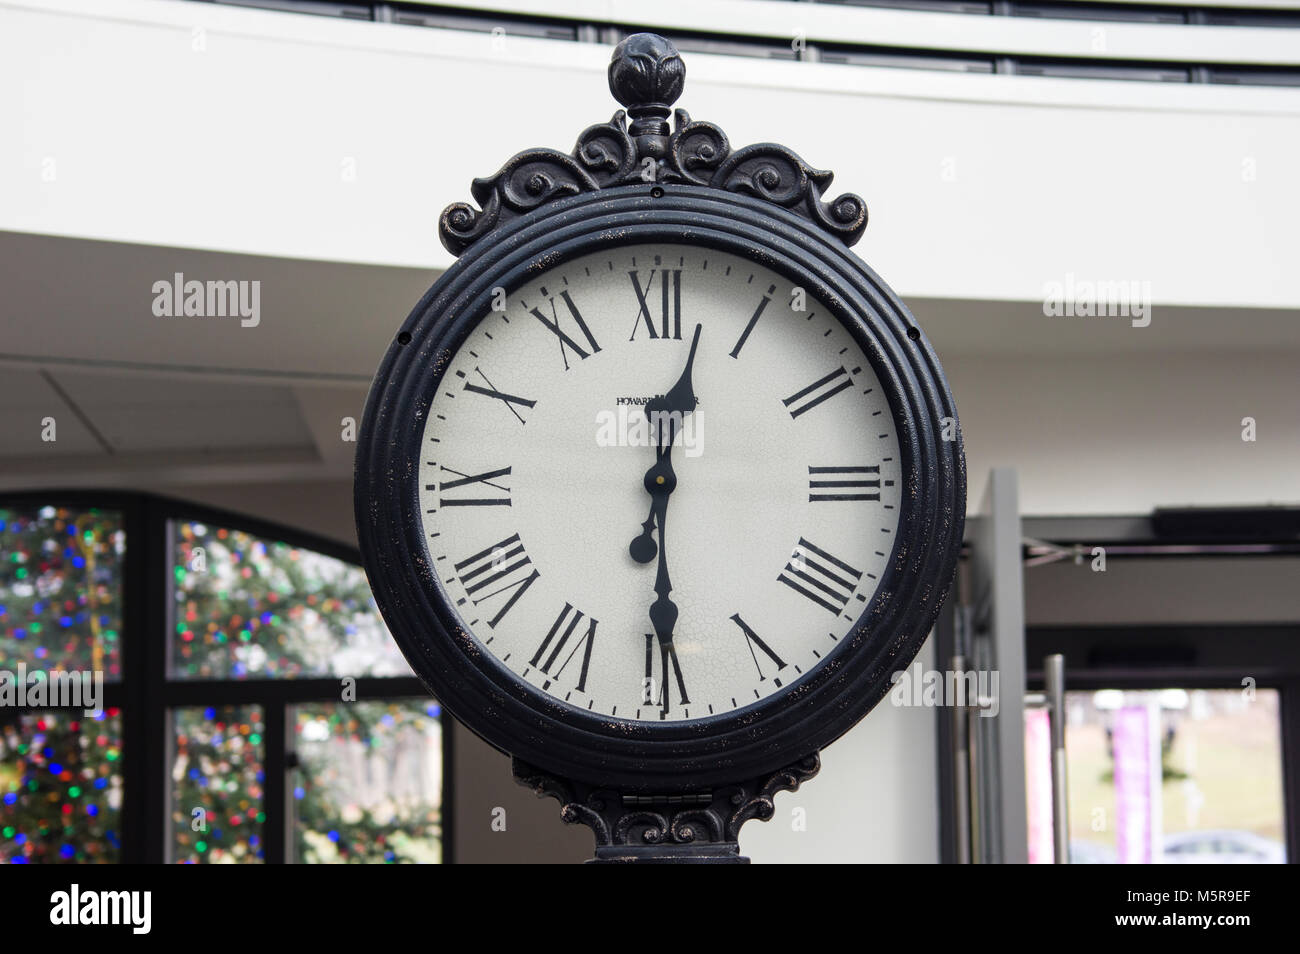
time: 12:29
